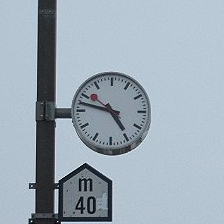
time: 4:47
